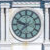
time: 9:36
